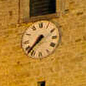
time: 7:37
